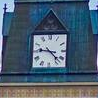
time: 9:22
